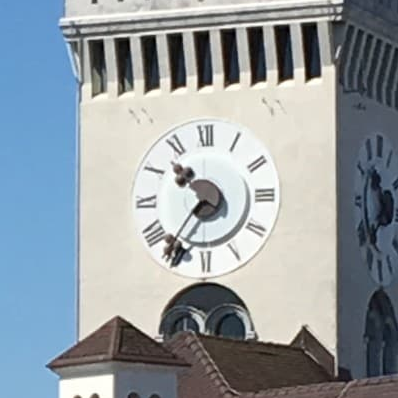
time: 10:36
